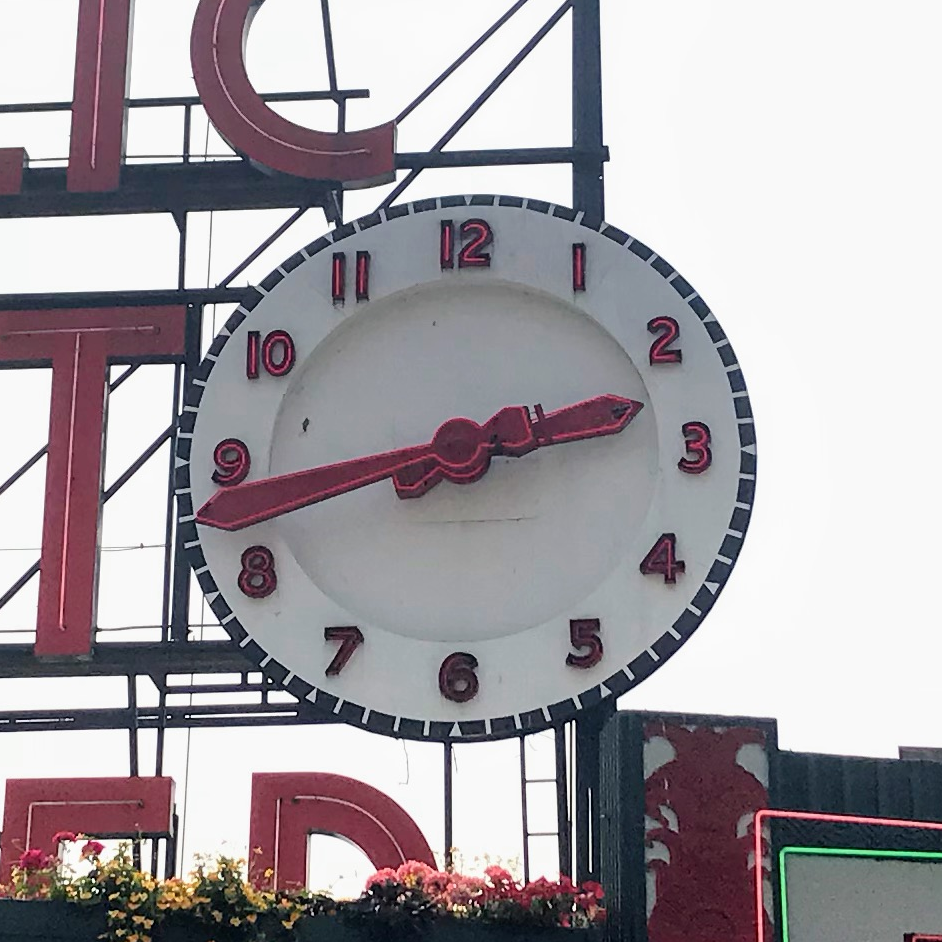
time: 2:42
